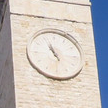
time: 10:56
